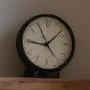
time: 9:07
